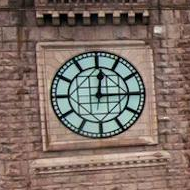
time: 12:14
